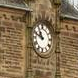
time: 10:48
